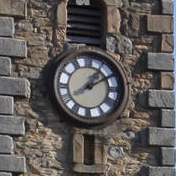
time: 1:10
